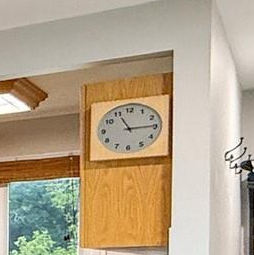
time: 11:14
